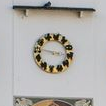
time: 2:46
